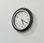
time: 5:19
